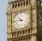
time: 10:45
